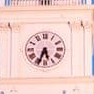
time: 5:33
